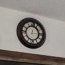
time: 12:14
